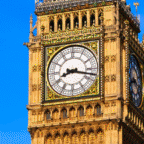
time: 8:17
